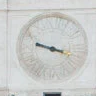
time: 9:17
